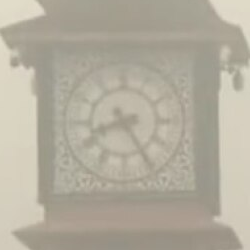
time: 8:25
